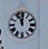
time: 11:55
